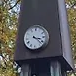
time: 3:21
